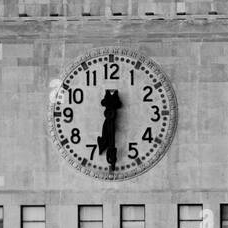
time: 6:29
